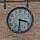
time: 3:30
